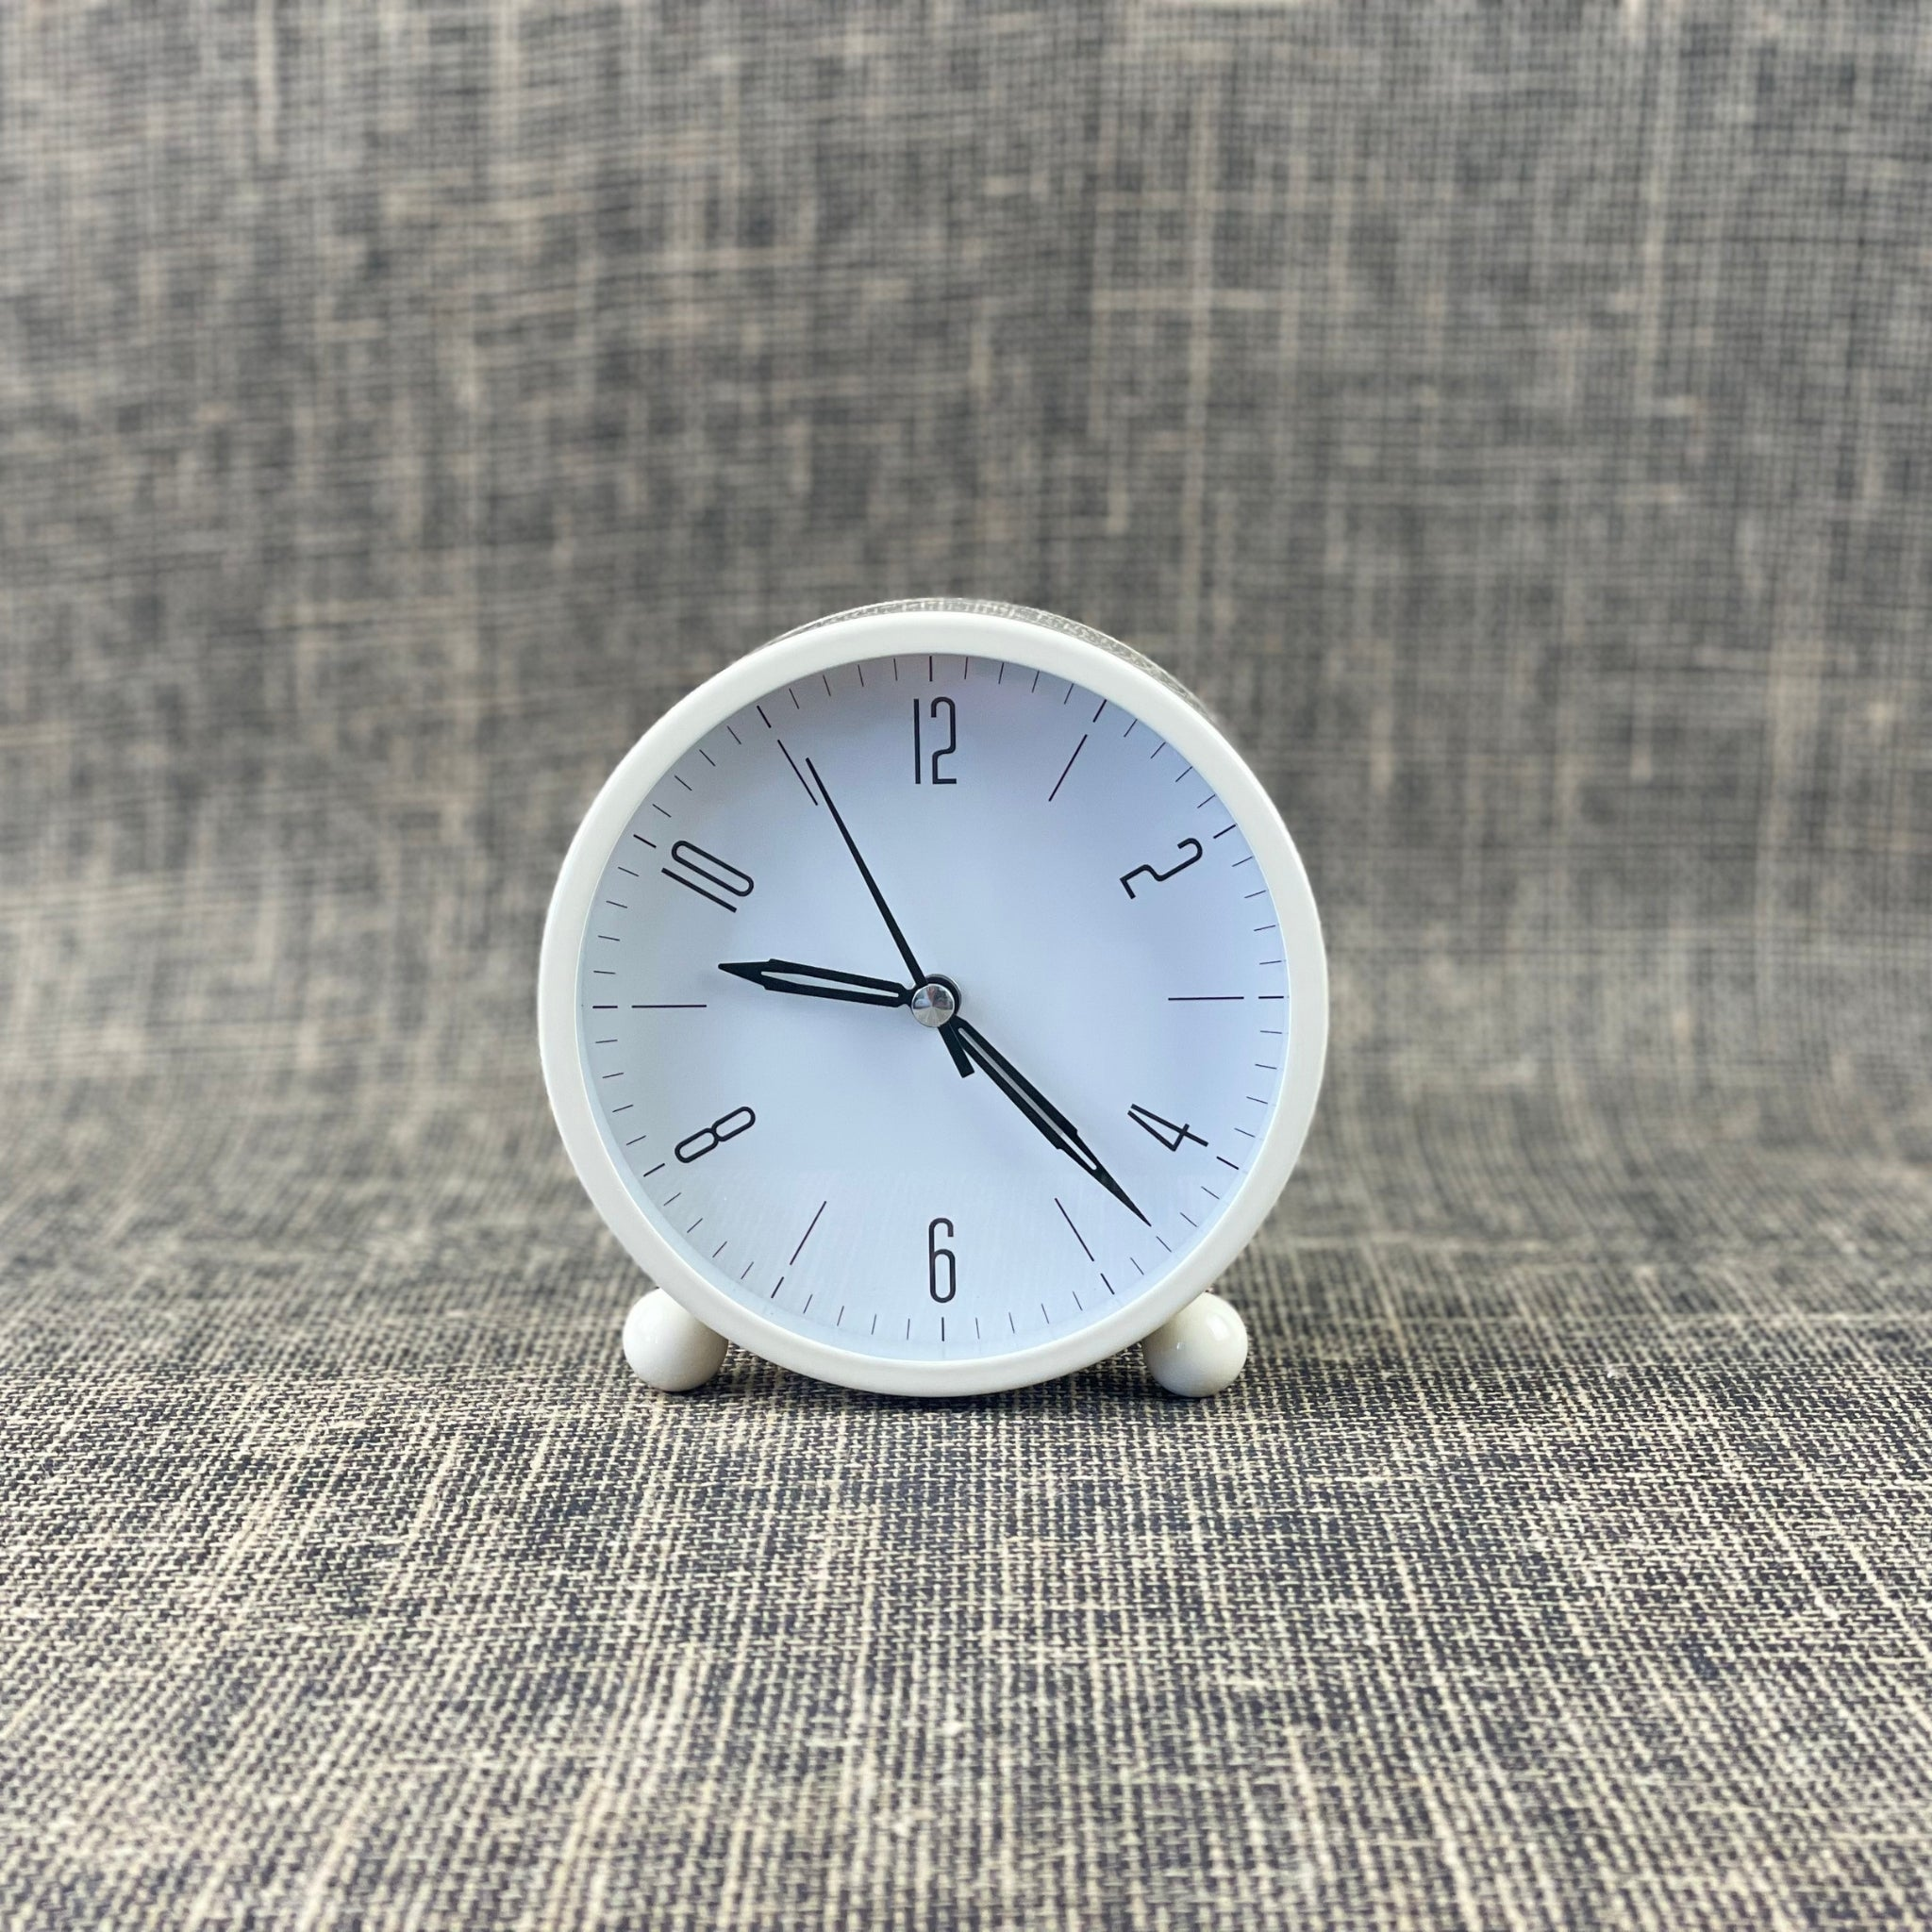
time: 9:22
